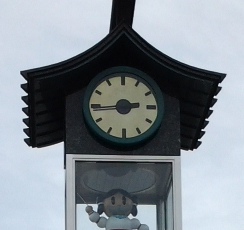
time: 2:44
